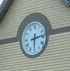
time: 6:13
